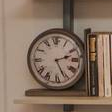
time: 2:26
